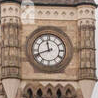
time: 11:41
